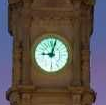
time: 9:02
